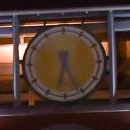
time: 6:25
